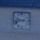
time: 9:42
